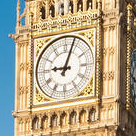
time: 9:03
